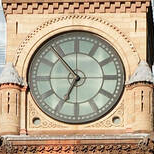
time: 6:53
